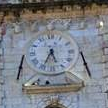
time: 5:34
